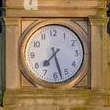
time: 7:27
